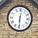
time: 12:29
